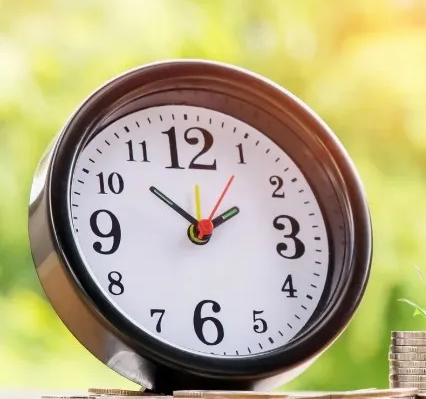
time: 1:51
